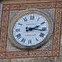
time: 2:16
